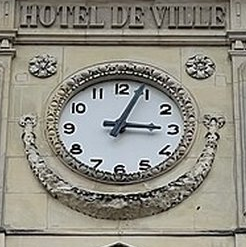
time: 3:03
